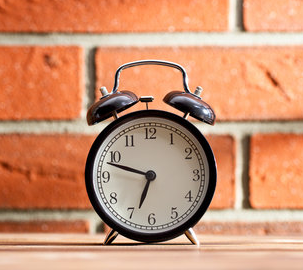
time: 6:48
